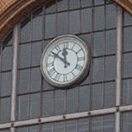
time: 11:51
